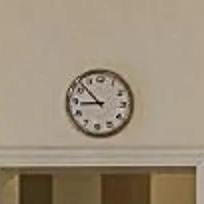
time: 8:52
